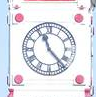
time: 11:23
